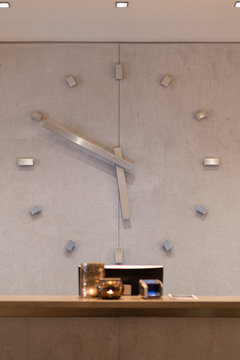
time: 5:49
